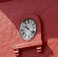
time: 10:22
